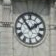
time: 1:53
